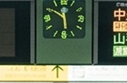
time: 5:50
